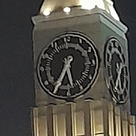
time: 5:35
